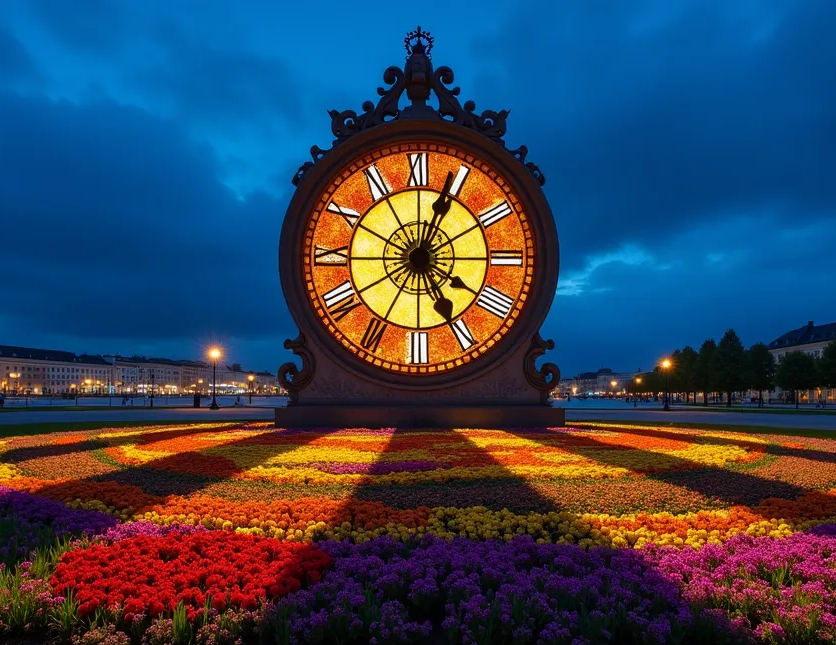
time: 5:04
